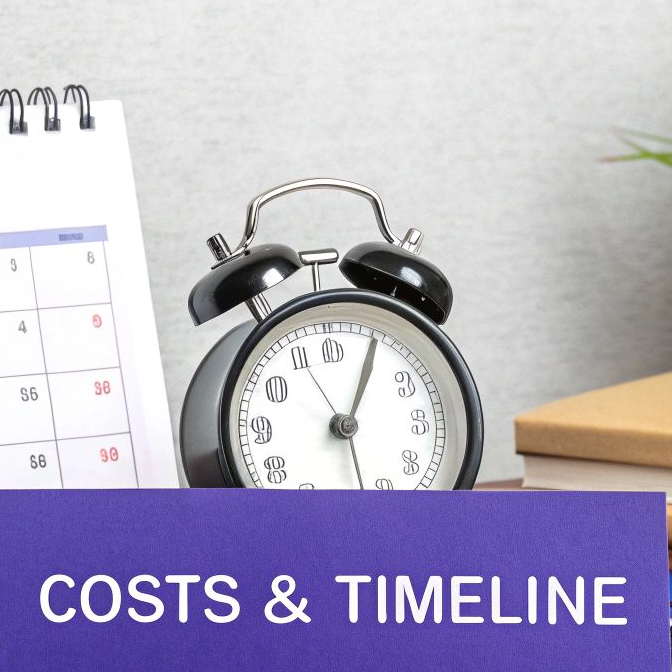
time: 1:04
